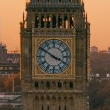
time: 3:50
